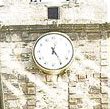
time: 12:24
